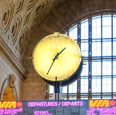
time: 1:34
